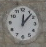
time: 12:07
